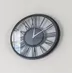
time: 2:01
